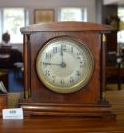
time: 11:45
